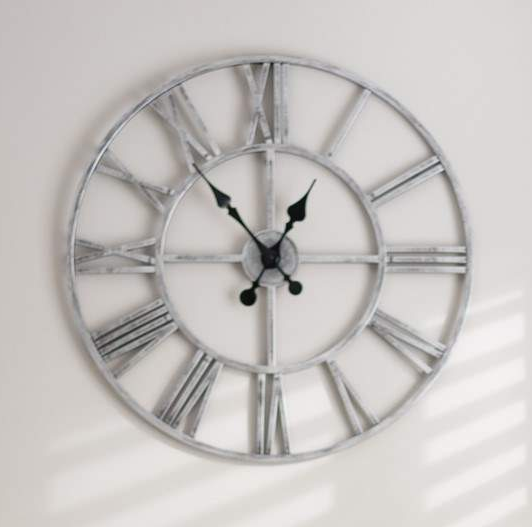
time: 12:53
